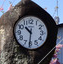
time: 10:31
